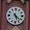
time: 5:21
